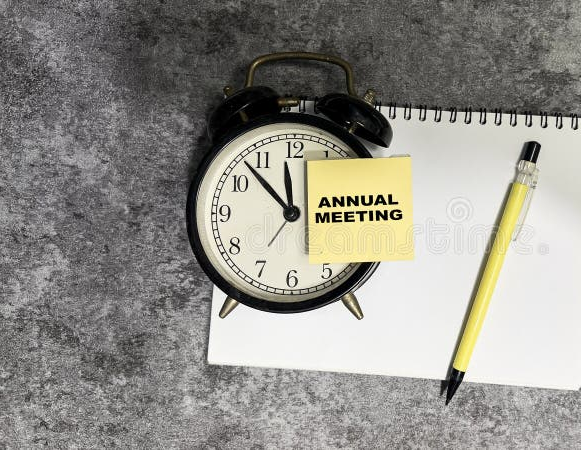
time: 11:52
